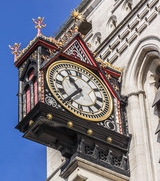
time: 10:36
